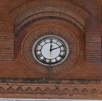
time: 12:11
